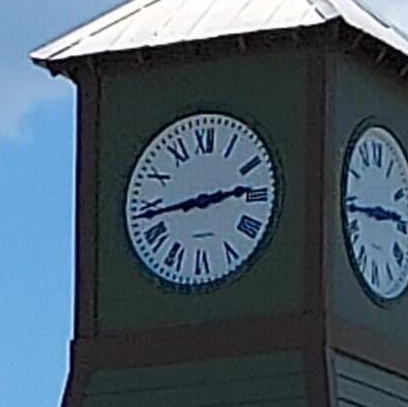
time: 2:43
